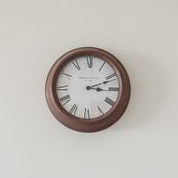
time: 3:11
